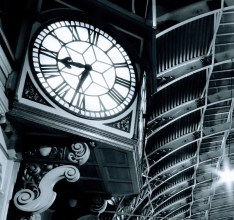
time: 8:32
